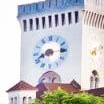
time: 8:14
